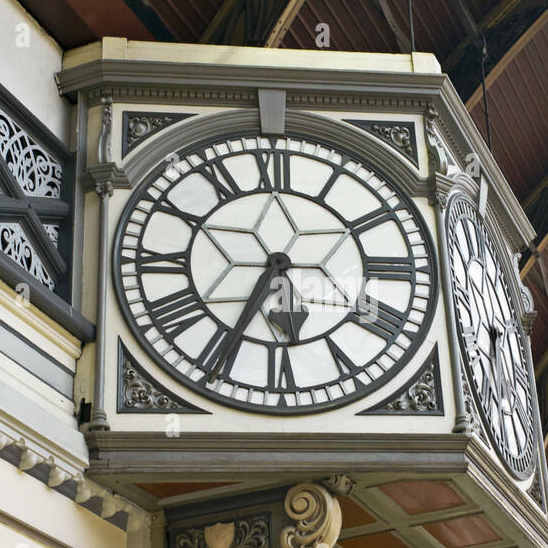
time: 5:34
